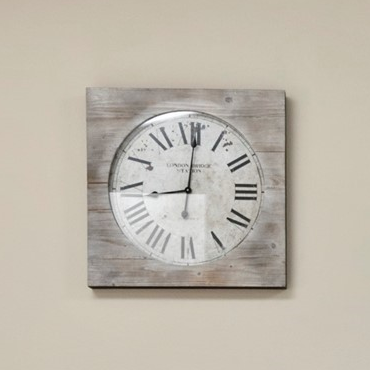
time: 9:01
